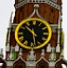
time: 10:28
